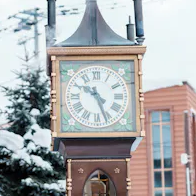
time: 10:26
